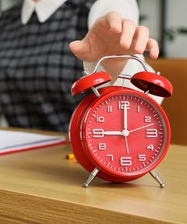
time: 9:00
